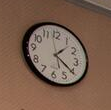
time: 1:20
